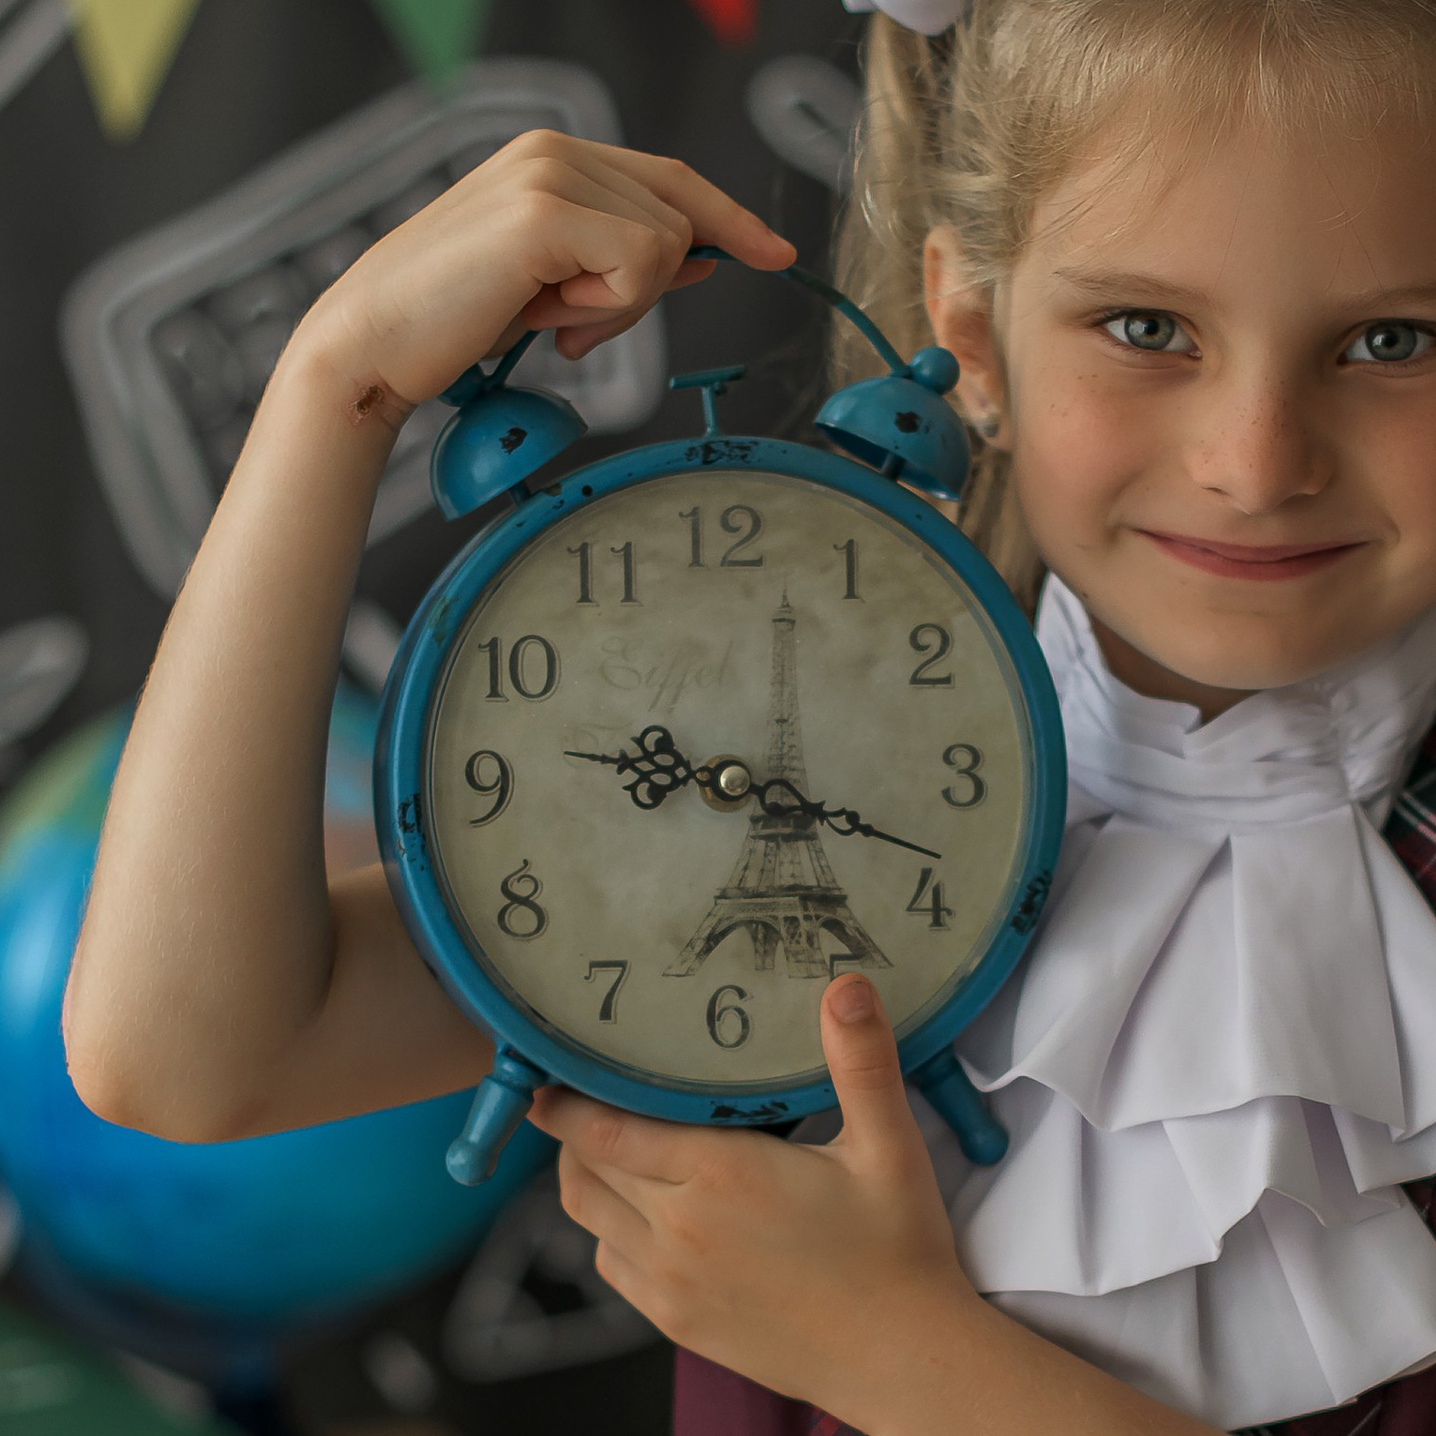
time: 9:18
